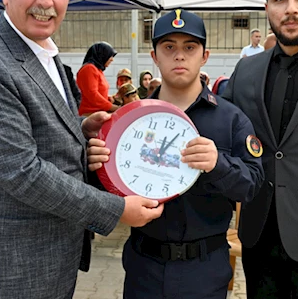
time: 12:04
